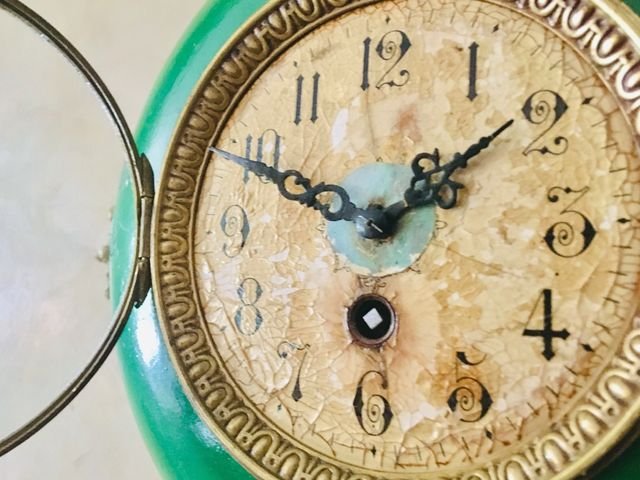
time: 1:49
